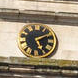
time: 5:08
